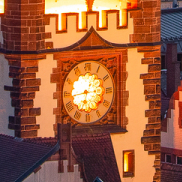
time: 6:43
